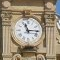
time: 11:14
